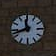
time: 11:42
